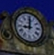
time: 9:01
